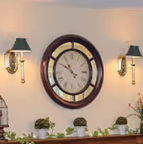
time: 10:50
